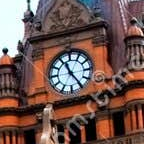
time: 11:24
